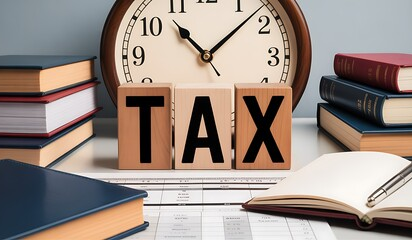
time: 10:07
